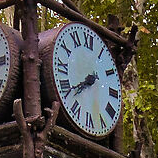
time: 7:39
